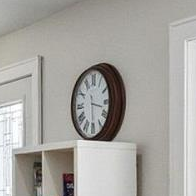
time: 3:29
